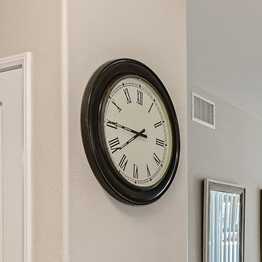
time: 7:45
